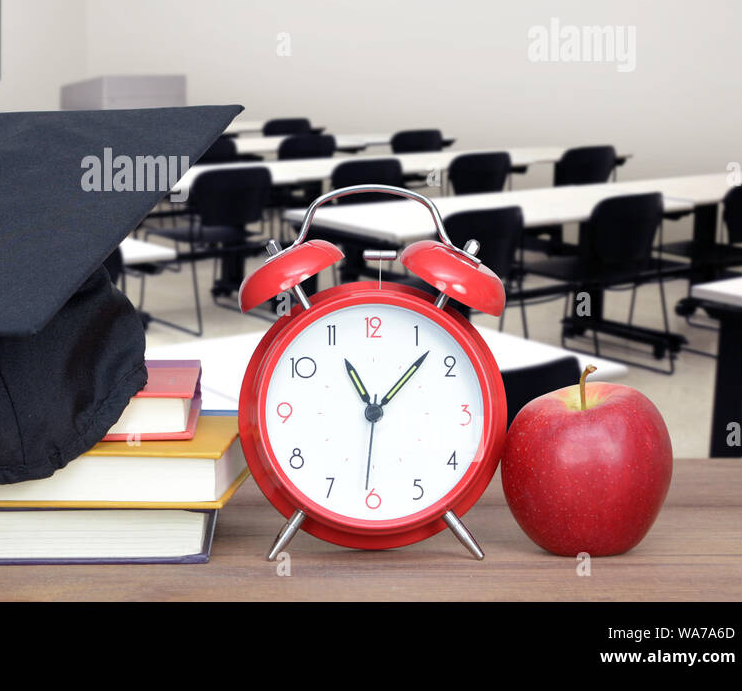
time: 11:07
